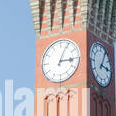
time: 3:04
